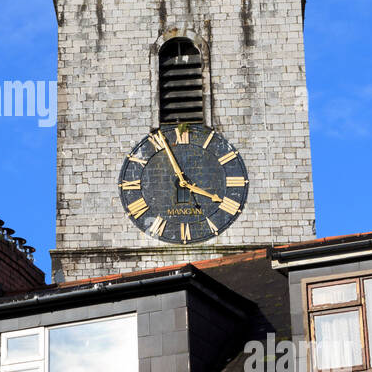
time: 3:55
